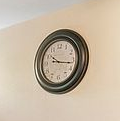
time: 10:16
